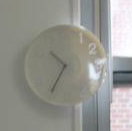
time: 10:35
